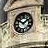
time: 1:50
